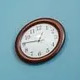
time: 12:45
